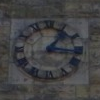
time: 1:16
